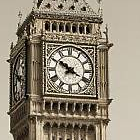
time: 3:50
